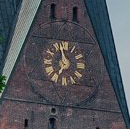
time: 6:58
